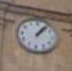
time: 1:06
